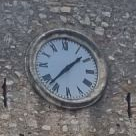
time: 1:37
